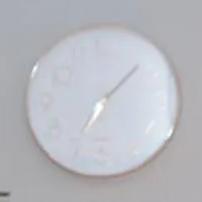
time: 7:07
